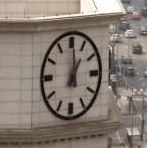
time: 1:00
